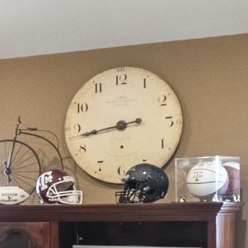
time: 8:43
